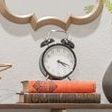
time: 4:19
